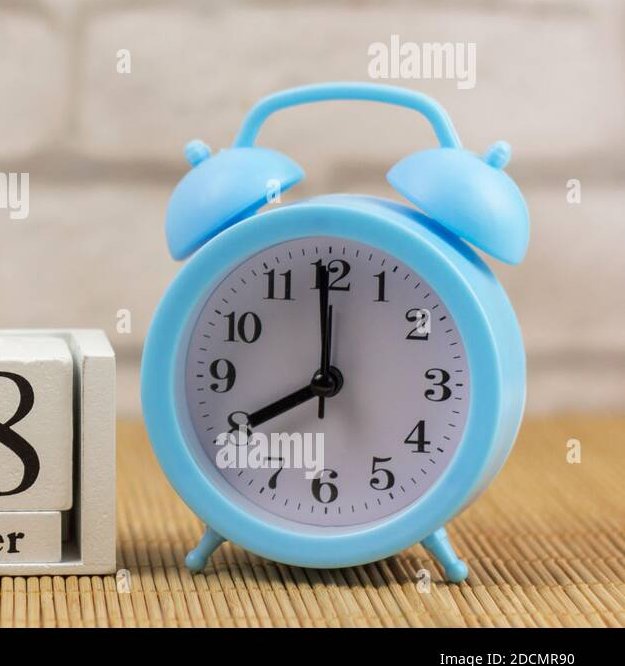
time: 7:59
